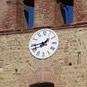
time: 1:43
